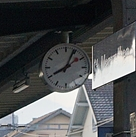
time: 8:04
